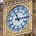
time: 11:14
